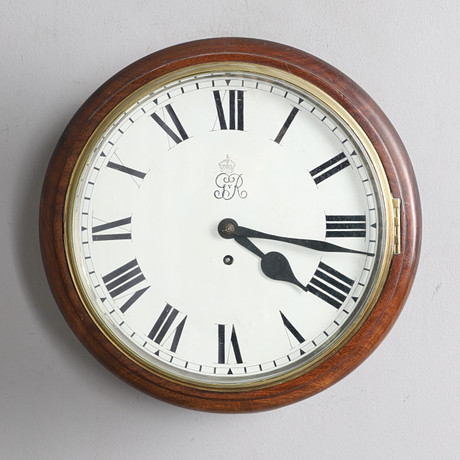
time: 4:16
